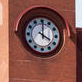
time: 4:00
